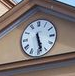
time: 5:27
